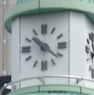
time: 10:21
